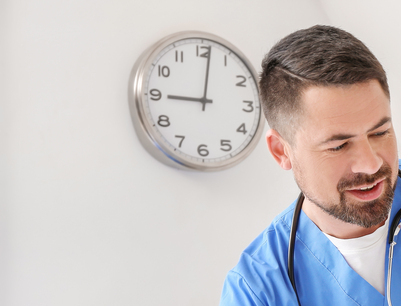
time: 9:01
